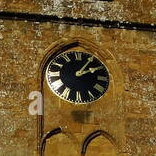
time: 2:06
